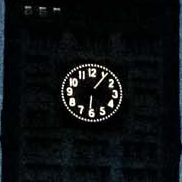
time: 6:06
